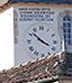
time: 3:52
